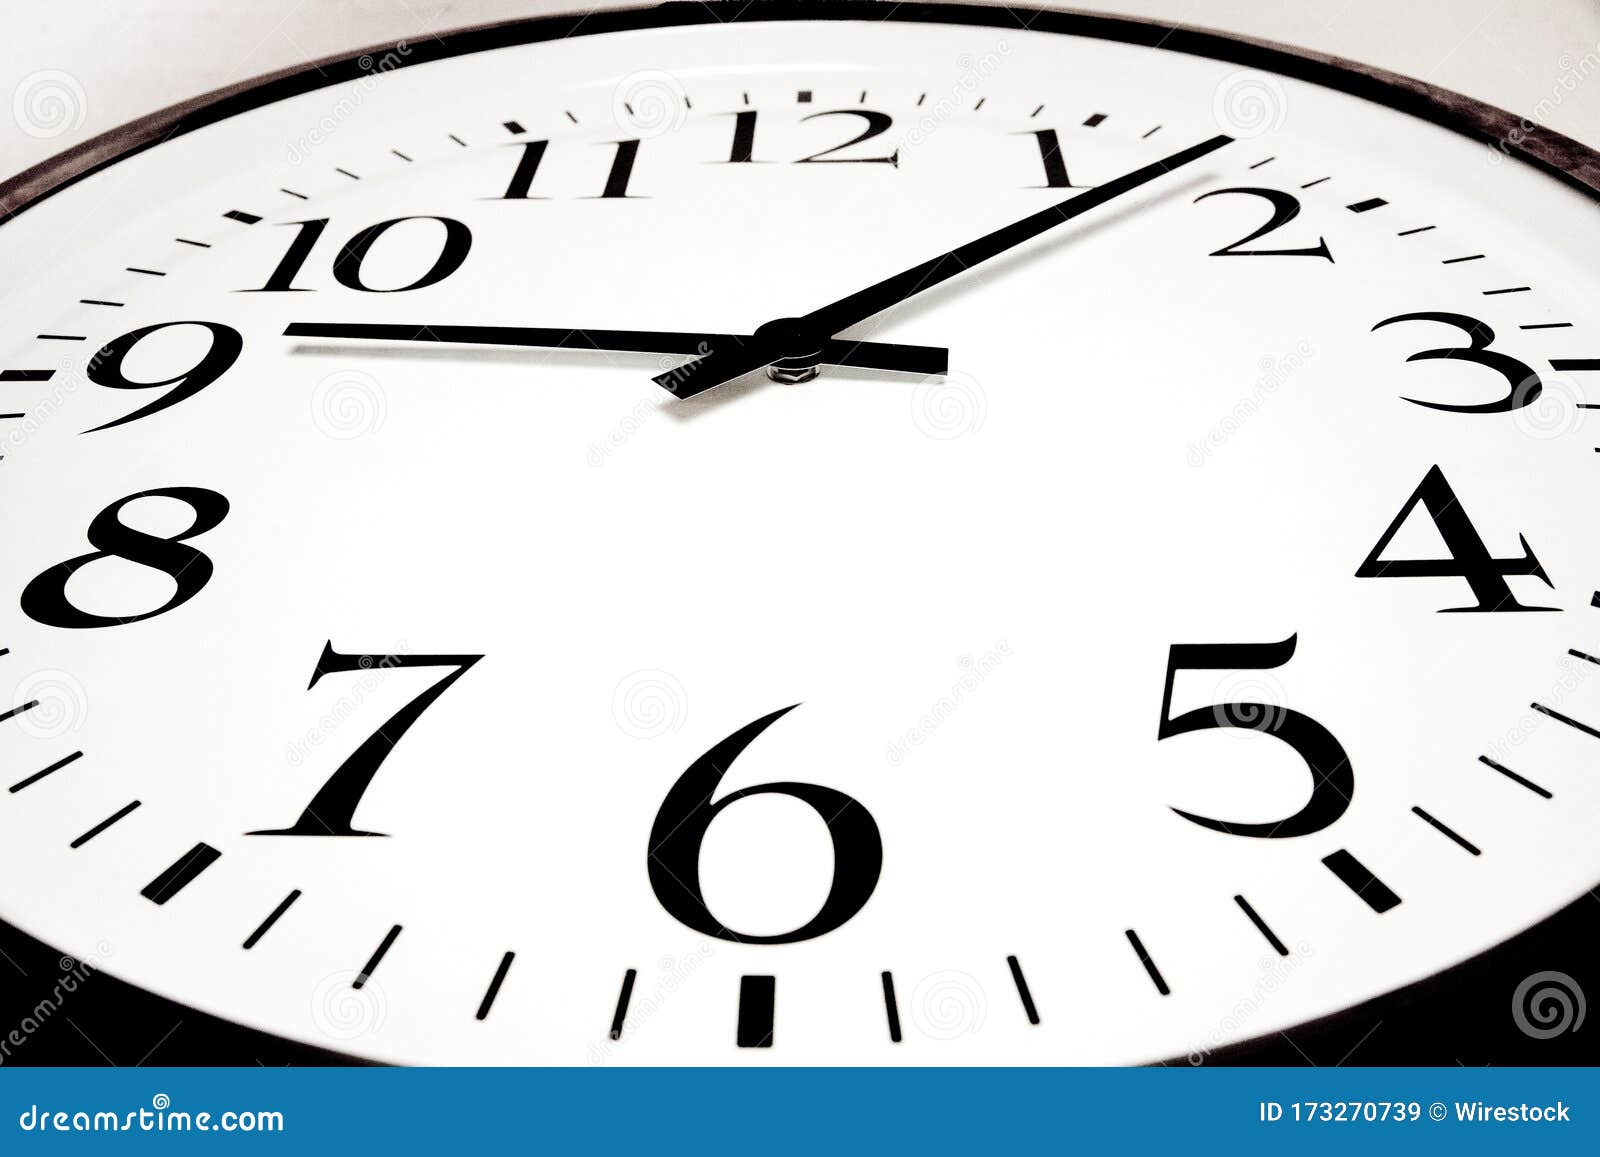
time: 9:07
